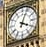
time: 4:04
